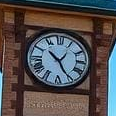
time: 10:25
